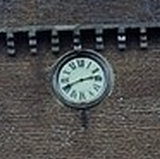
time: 2:40
